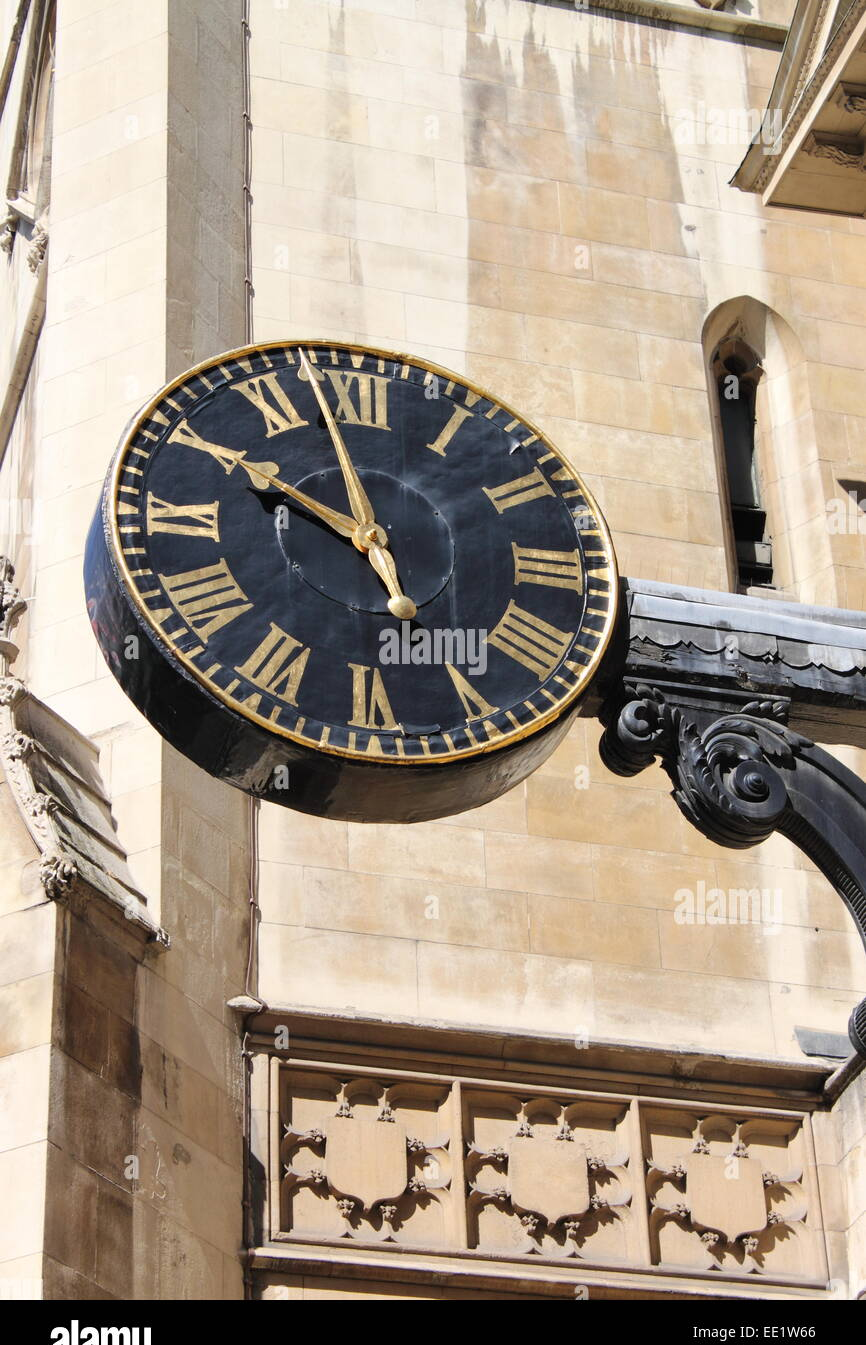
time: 9:57
